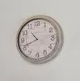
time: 10:41
